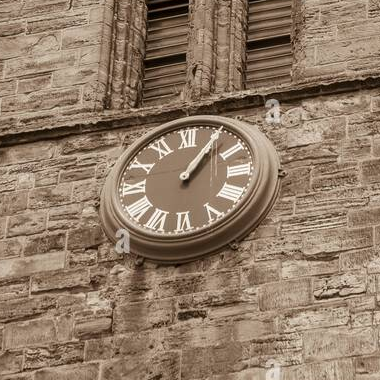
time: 1:04
